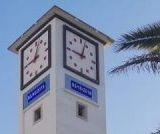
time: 9:02
